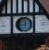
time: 8:58
